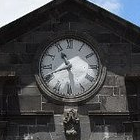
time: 10:41
